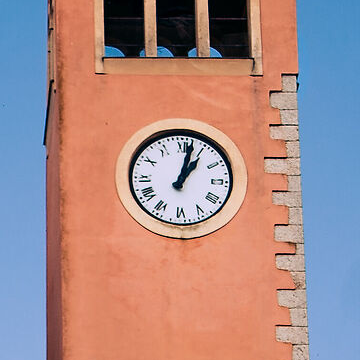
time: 1:02
